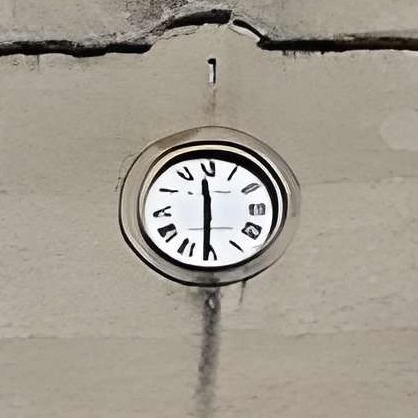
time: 11:30
